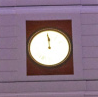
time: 11:58
